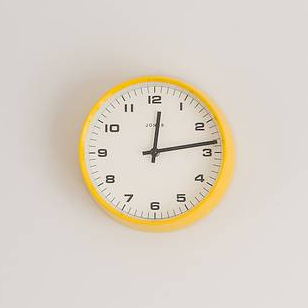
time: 12:13
